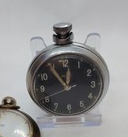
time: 11:54
